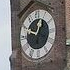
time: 12:48
